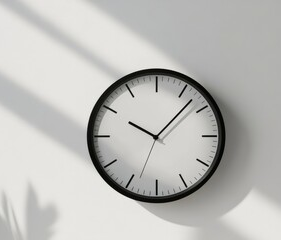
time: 10:07
